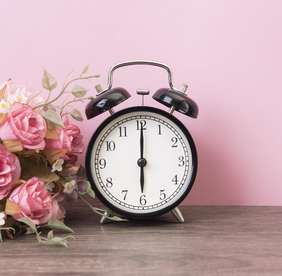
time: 6:00
